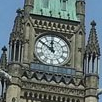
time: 11:50
